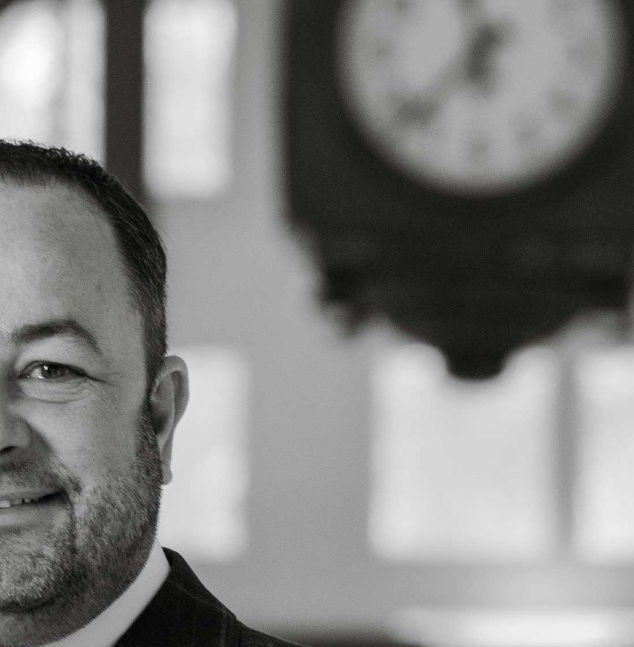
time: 11:37
